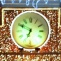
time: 6:49
